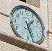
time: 1:28
